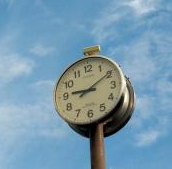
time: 9:09
